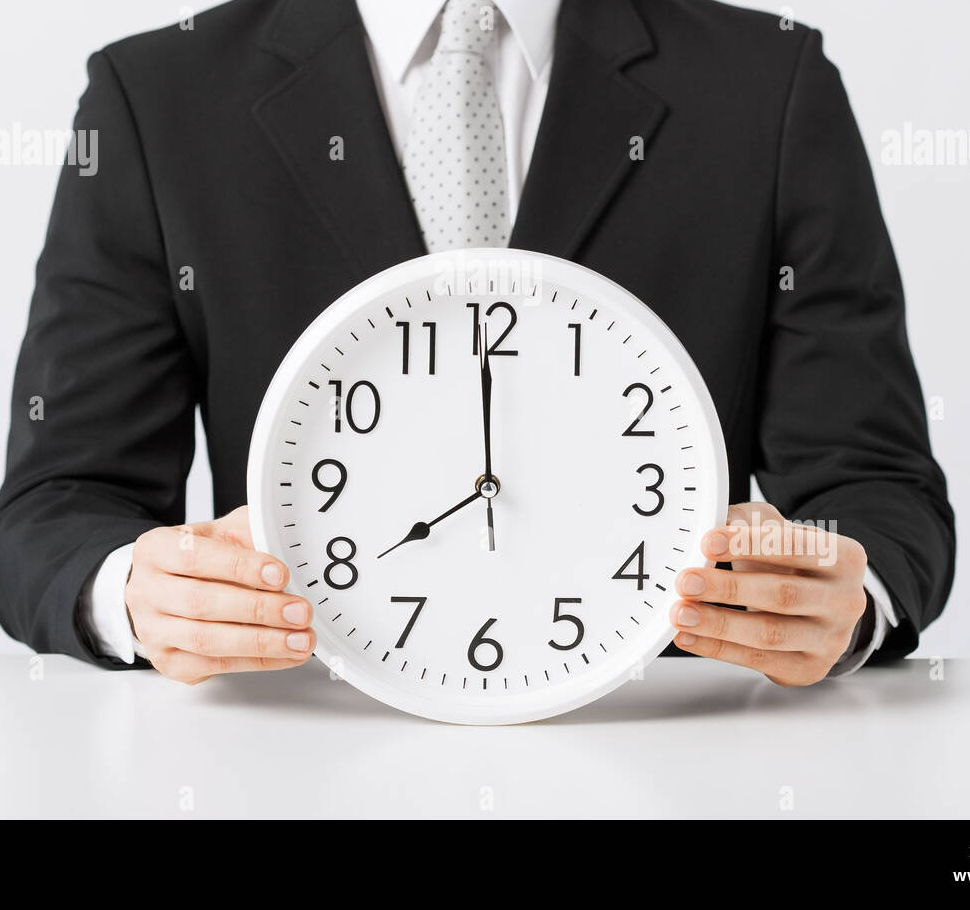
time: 7:59
